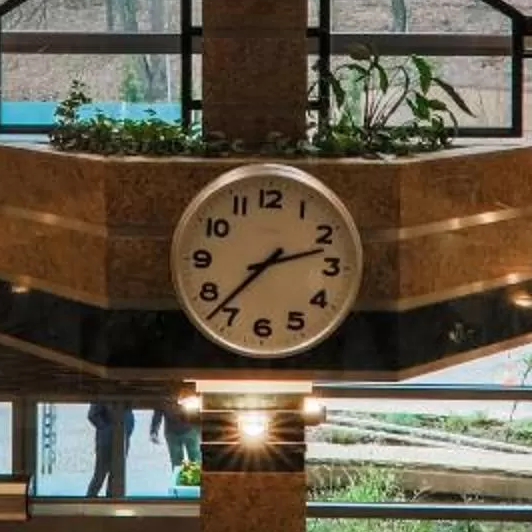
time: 2:37
